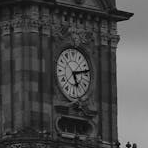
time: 5:12
